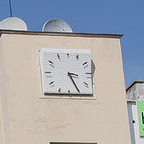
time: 3:25
